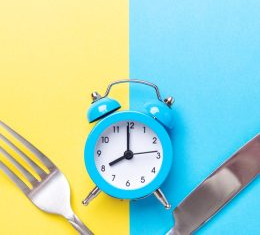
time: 7:59
